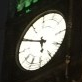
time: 5:49
